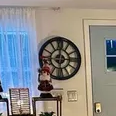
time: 5:59
